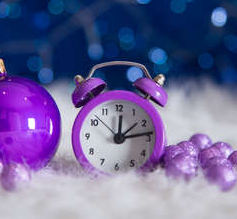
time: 12:13
